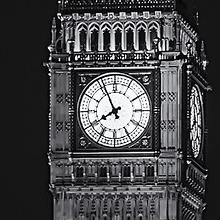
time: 7:55
